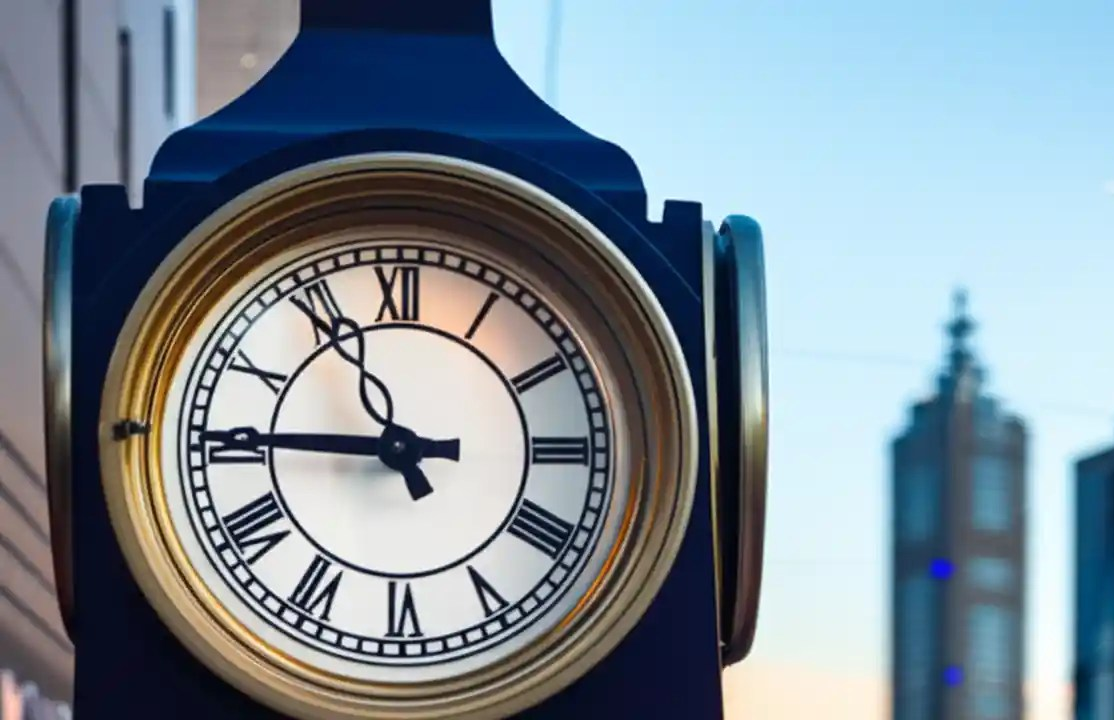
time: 10:45
